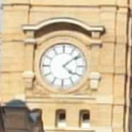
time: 4:08
